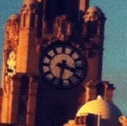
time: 3:32
